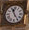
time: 11:24
